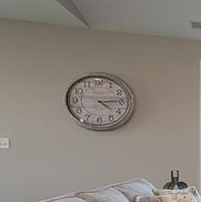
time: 4:14
